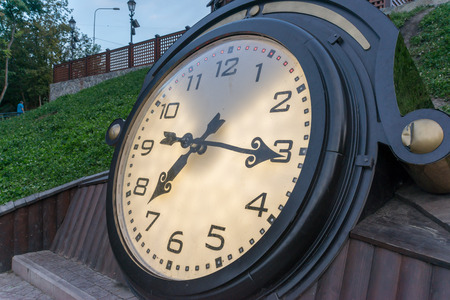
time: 7:15
